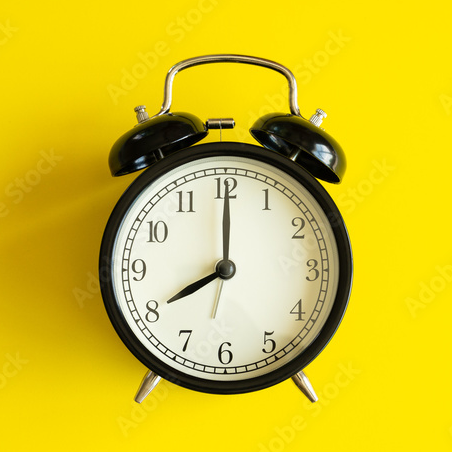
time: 8:00
